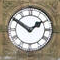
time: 1:50
